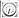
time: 6:32
